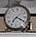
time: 7:19
